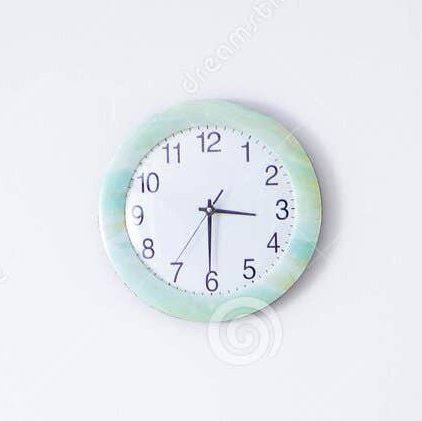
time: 3:30
